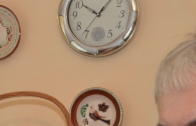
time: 10:06
